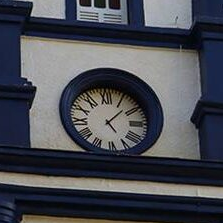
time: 5:07
